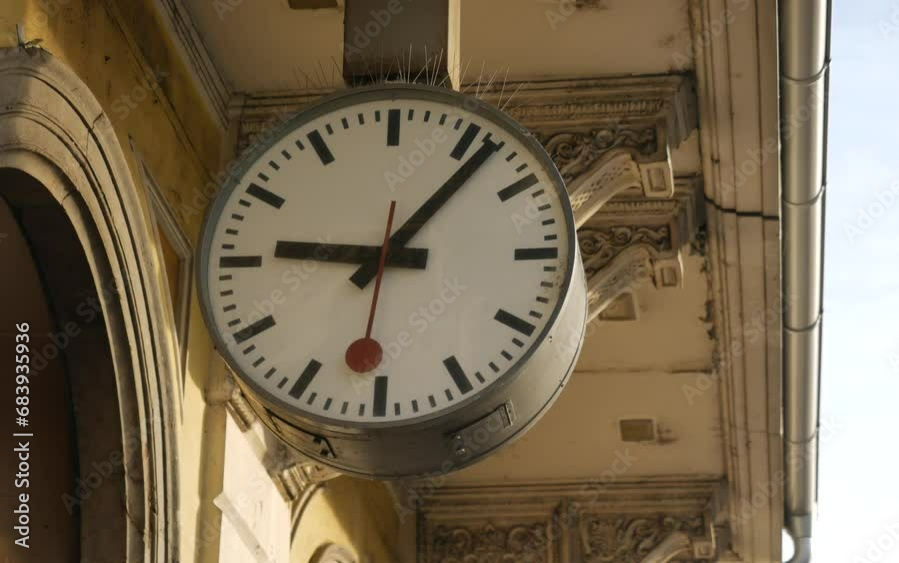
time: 9:07
